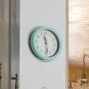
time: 11:28
